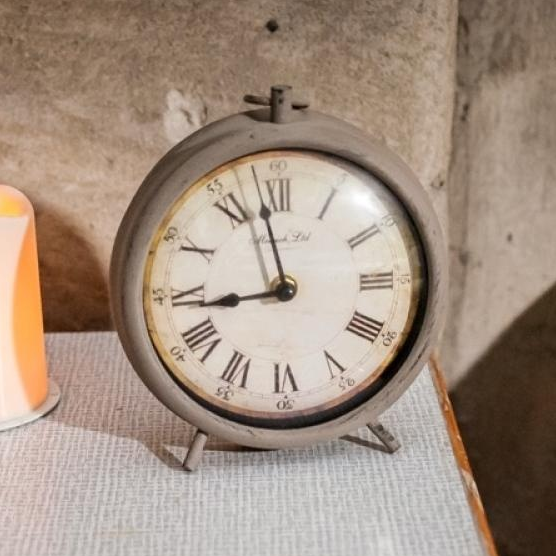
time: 8:57
